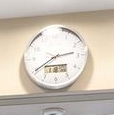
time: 2:40
